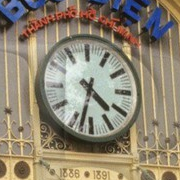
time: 4:32
